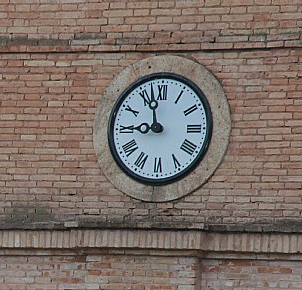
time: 8:57
